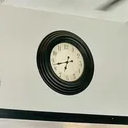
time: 6:42
